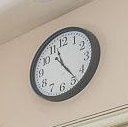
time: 11:23
